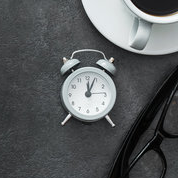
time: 12:04
